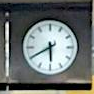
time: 5:40
